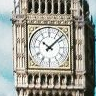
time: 10:07
